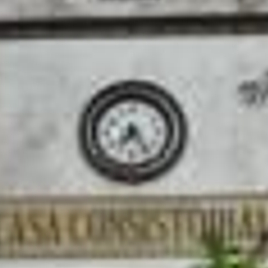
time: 7:24
